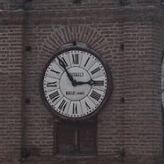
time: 2:54
